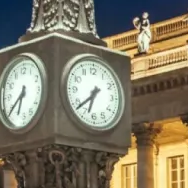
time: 6:38
